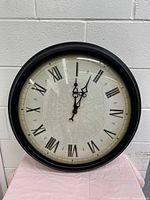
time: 12:03
